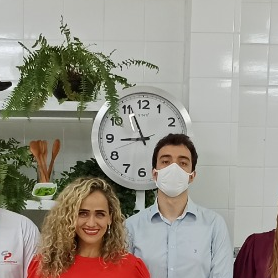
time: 8:56
